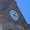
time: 4:07
